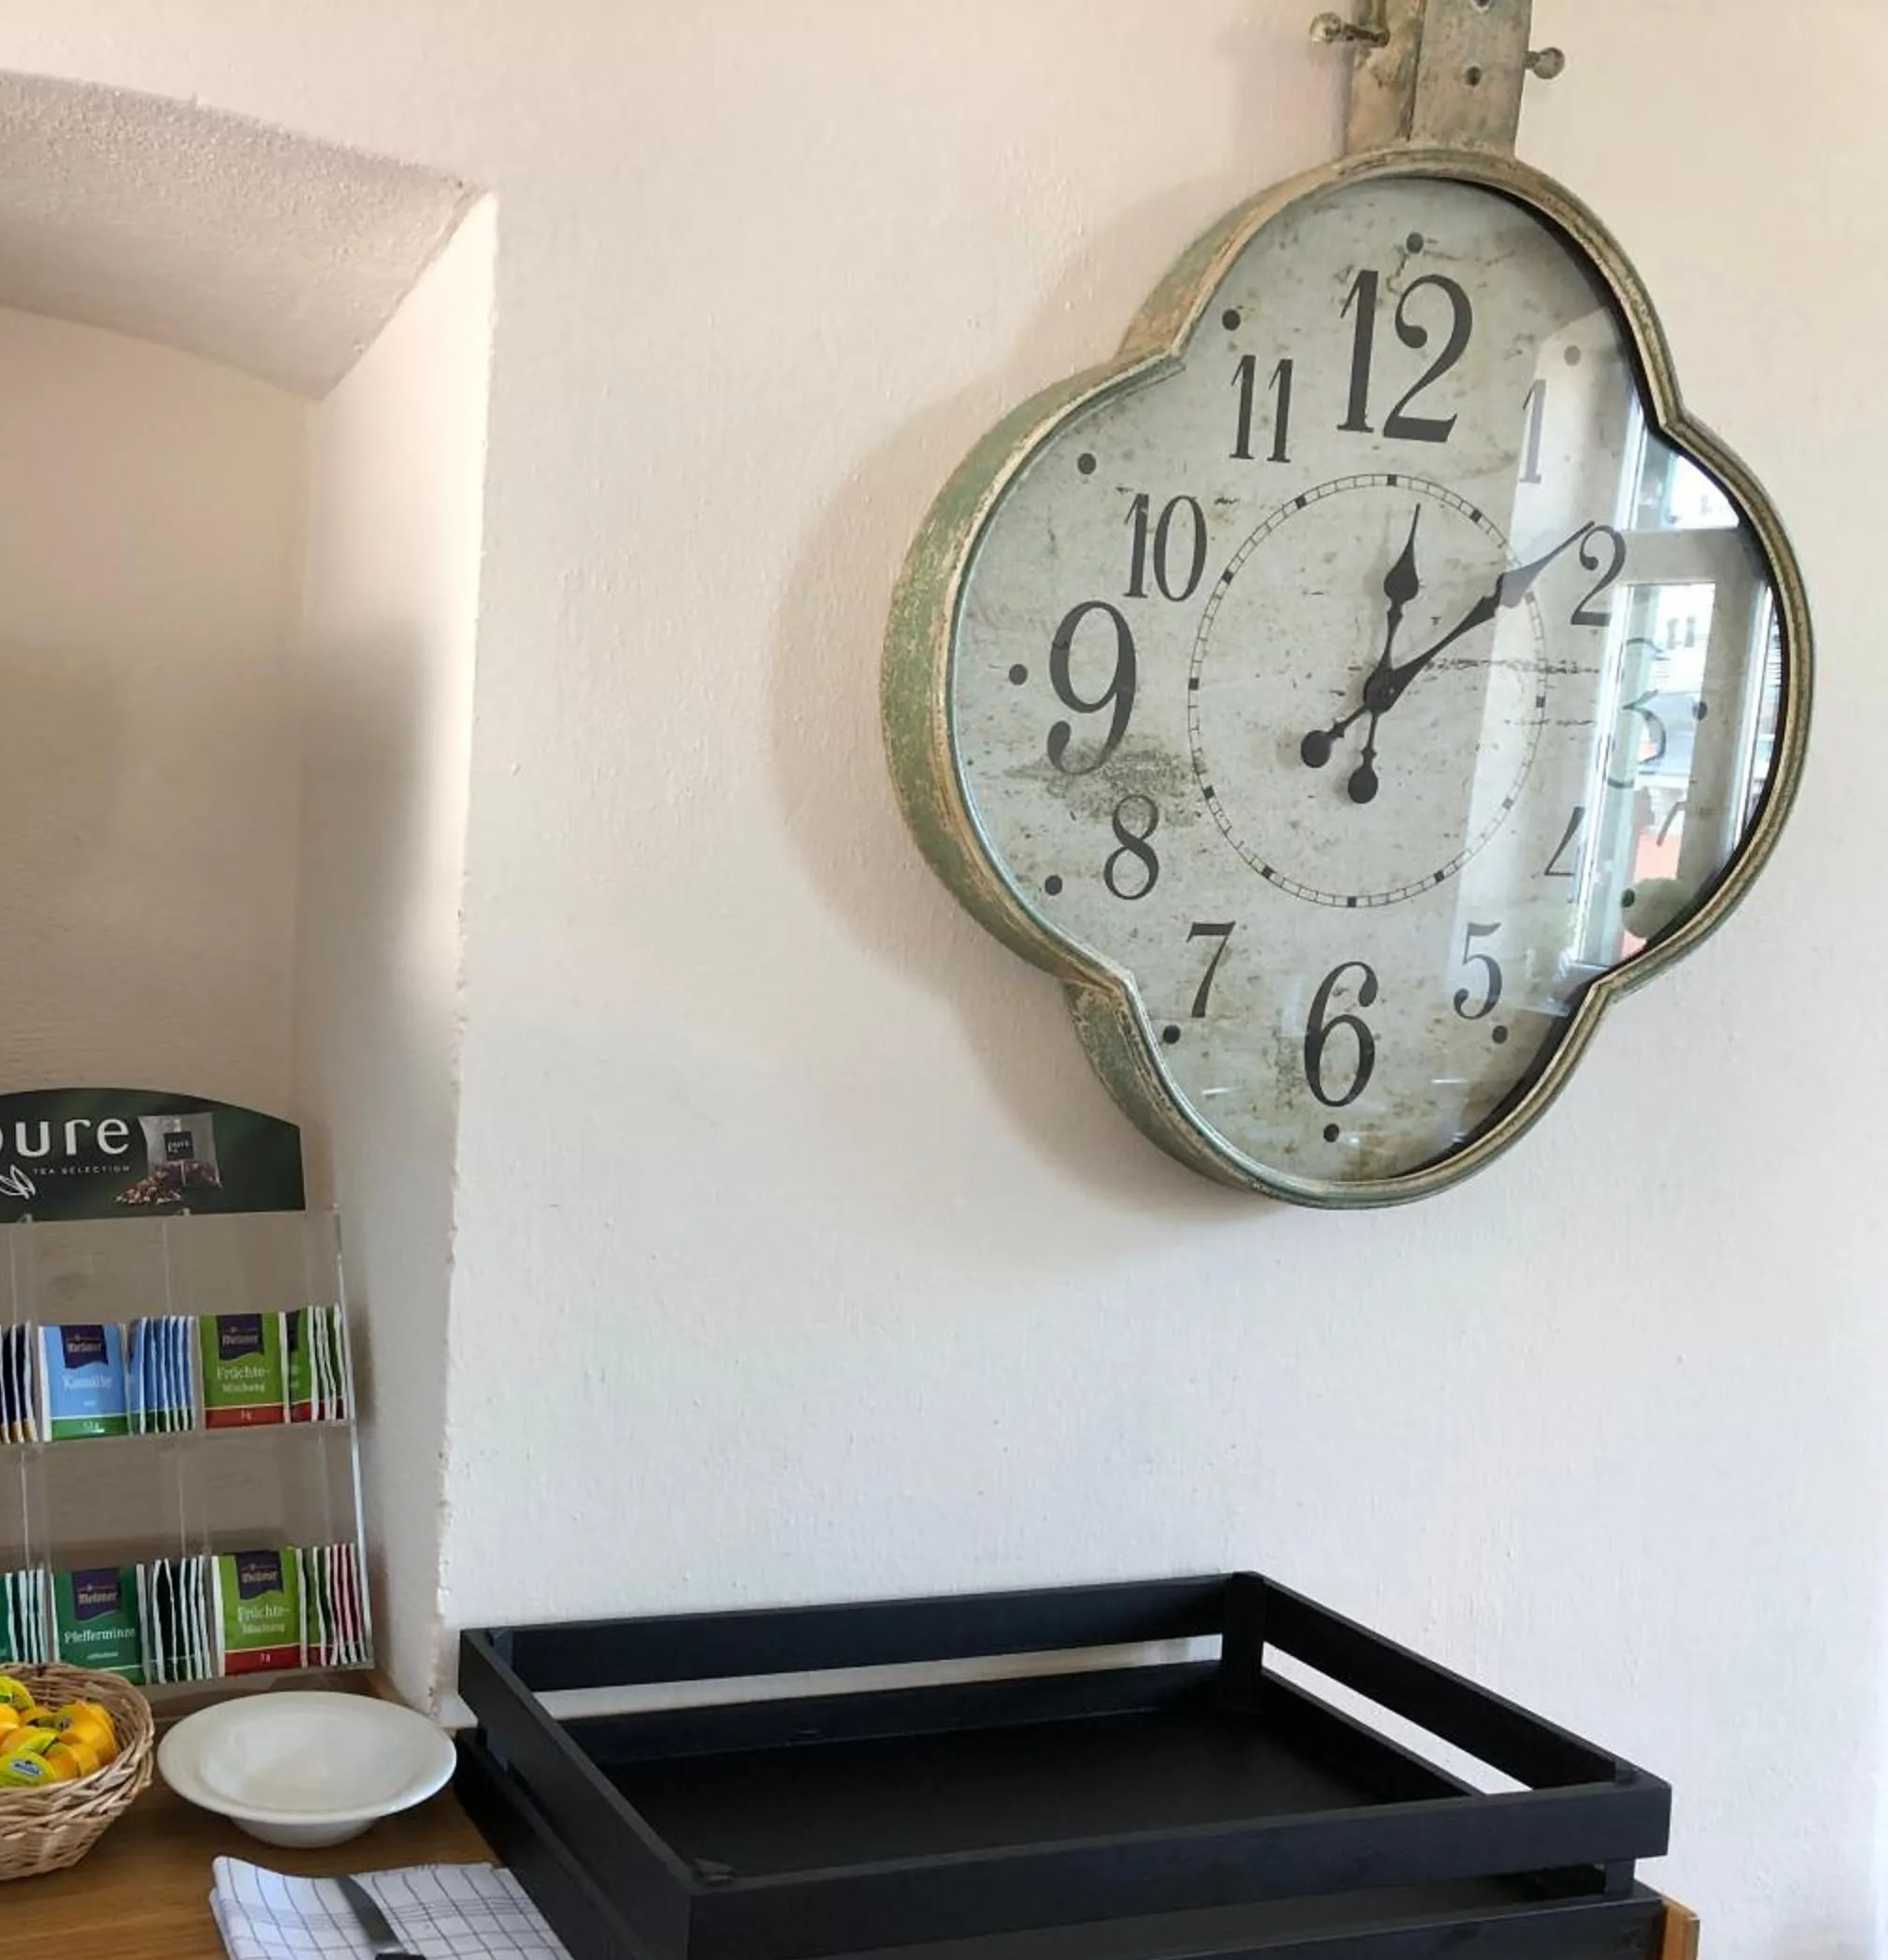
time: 12:07
